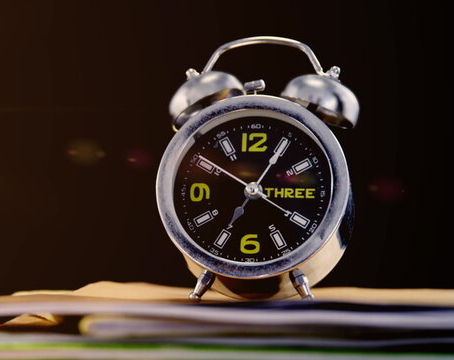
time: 3:05
